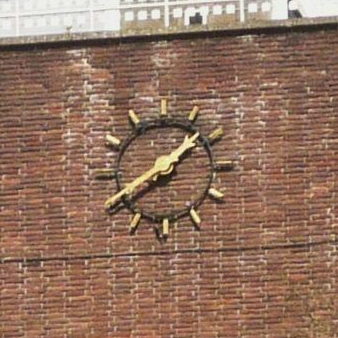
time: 1:39
